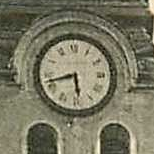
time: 5:42
